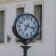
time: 7:17
